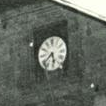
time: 5:38
